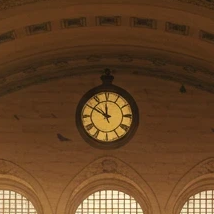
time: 11:50
